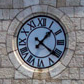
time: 1:21
